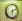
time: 6:10
